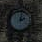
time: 2:02
